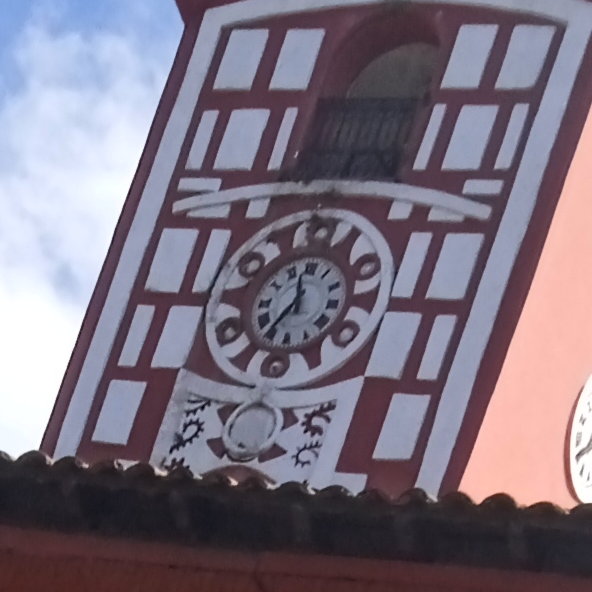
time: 11:36
